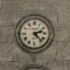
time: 2:22
